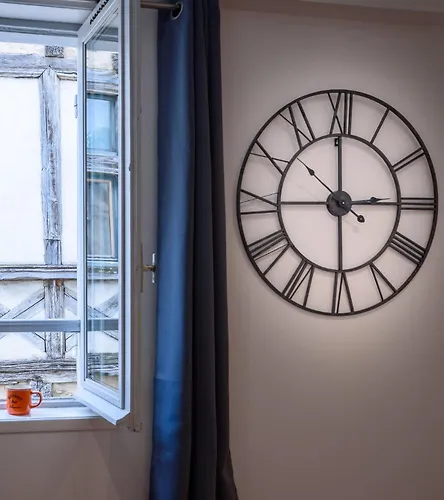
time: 2:59
